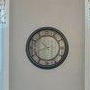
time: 10:41
